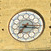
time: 7:15
